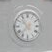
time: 10:37
